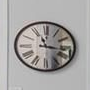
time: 11:16
